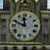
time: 11:48
